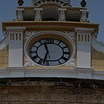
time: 11:32
